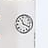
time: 11:19
